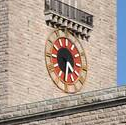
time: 4:31
